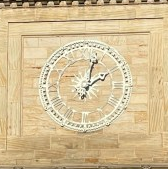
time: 2:02
